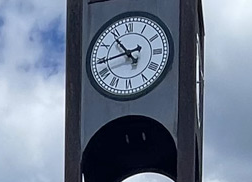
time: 10:43
